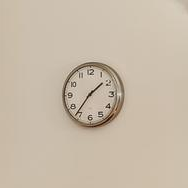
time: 1:36
